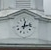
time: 12:12
